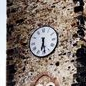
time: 6:28
